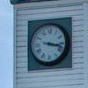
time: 3:17
